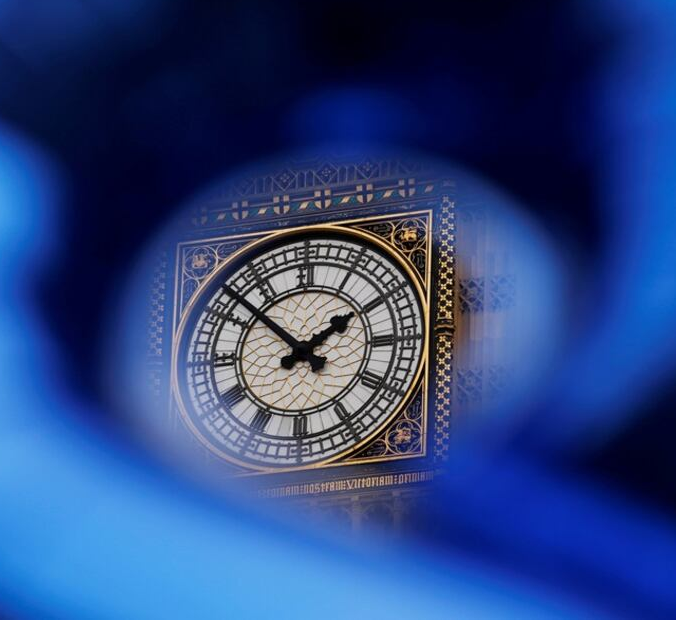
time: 1:51
